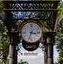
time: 3:33
